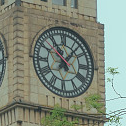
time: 11:06
